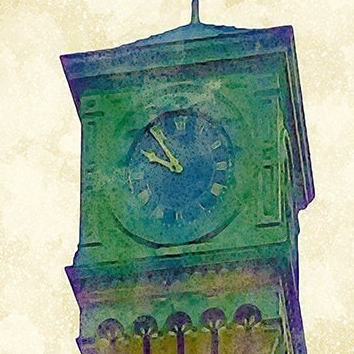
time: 9:53
